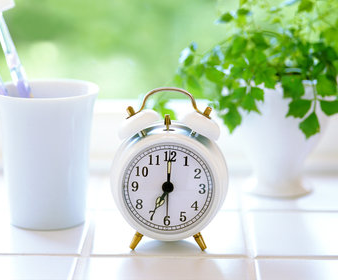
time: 7:00
